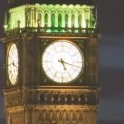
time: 5:17
